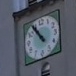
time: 10:54
